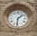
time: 1:31
